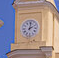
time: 2:01
